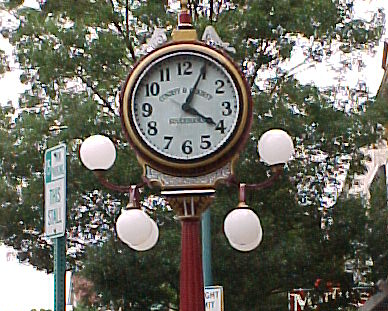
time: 4:04
